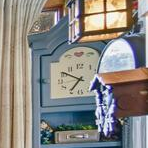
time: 6:50
